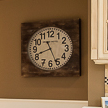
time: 8:26
